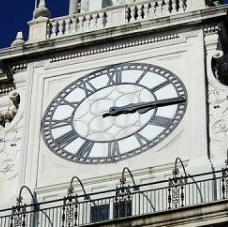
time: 3:14
